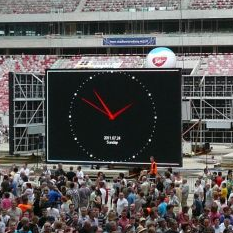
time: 1:50
